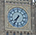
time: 7:34
